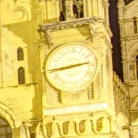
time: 2:43
